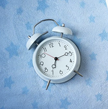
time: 7:14
